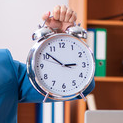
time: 2:51
